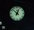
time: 12:52
